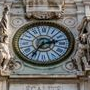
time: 2:35
